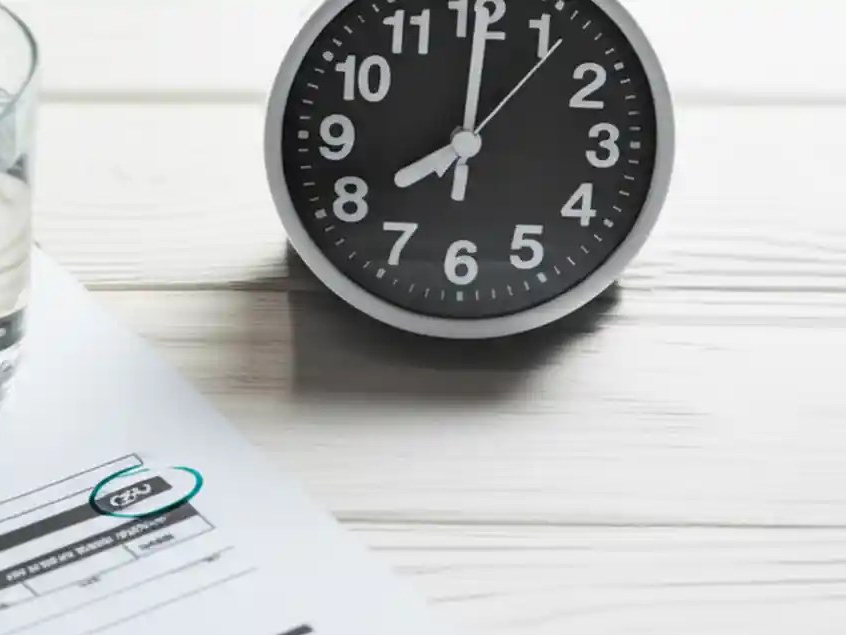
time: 8:00
